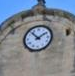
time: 1:52
